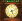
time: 5:11
